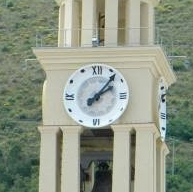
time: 2:06
